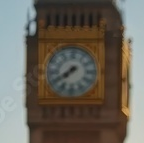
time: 7:40
